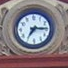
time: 7:15
